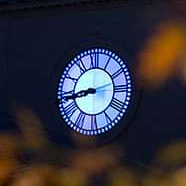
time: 8:43
